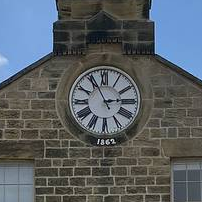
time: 2:55
